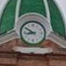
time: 8:50
